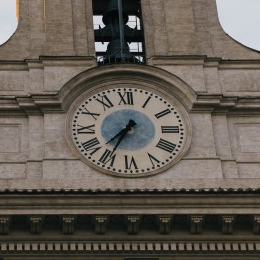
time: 7:34
